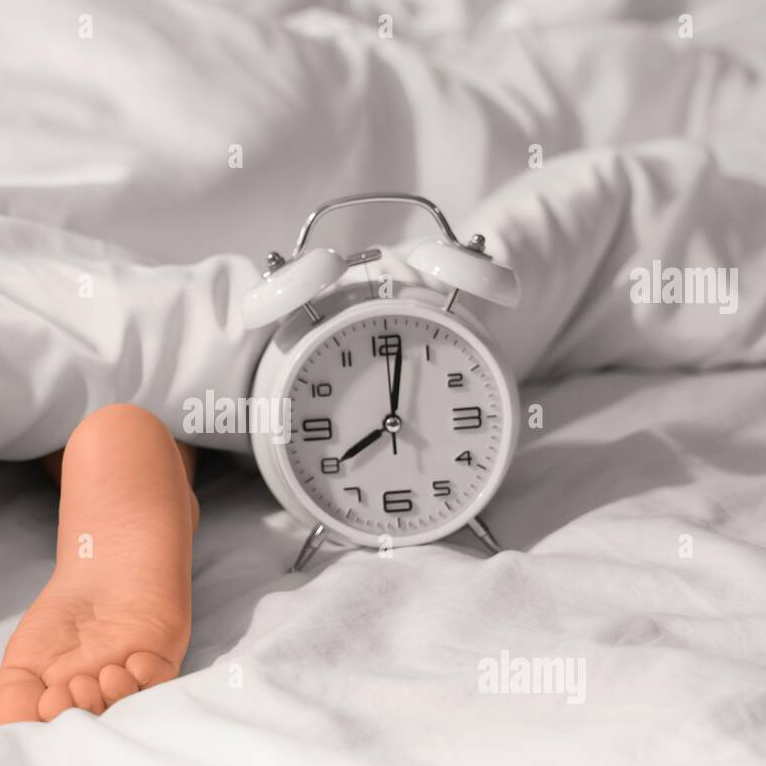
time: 8:01
